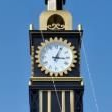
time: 3:04
